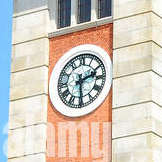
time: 2:29
